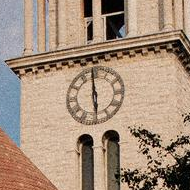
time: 5:59
